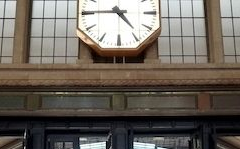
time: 4:45
